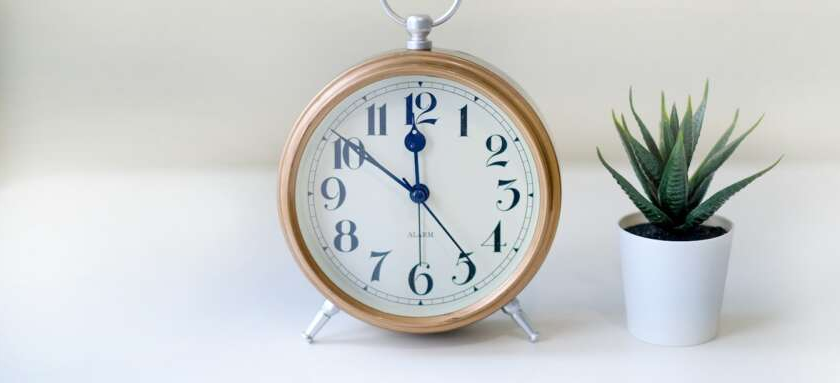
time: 11:50
